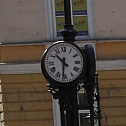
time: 10:31
